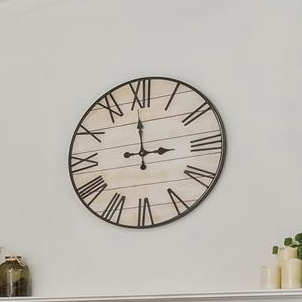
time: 2:59
